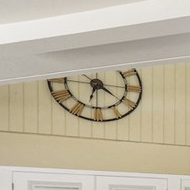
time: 6:21
